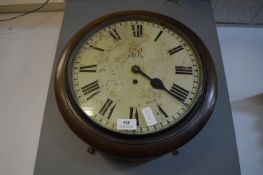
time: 4:20
